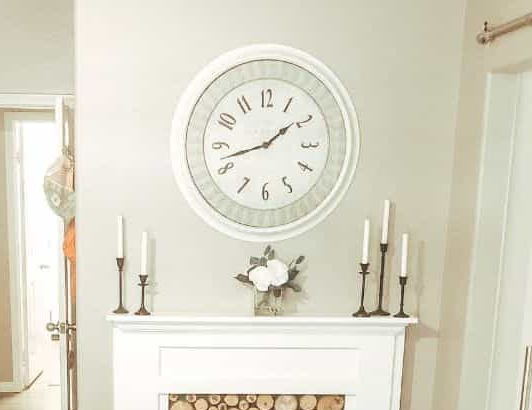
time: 1:42
